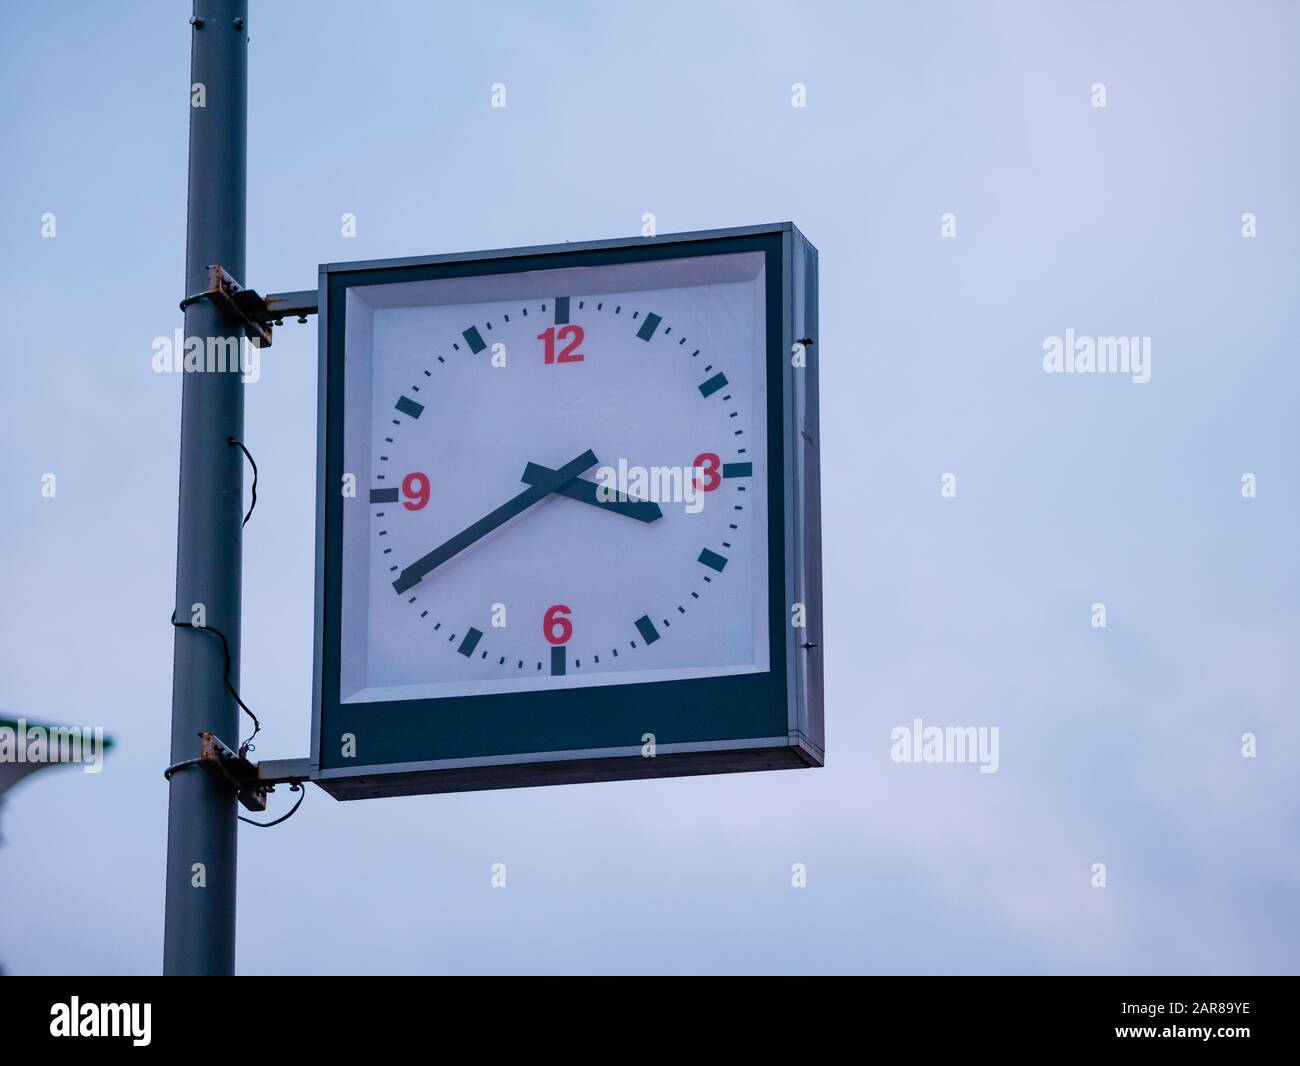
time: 3:40
